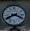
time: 3:40
